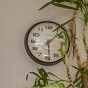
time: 1:28
